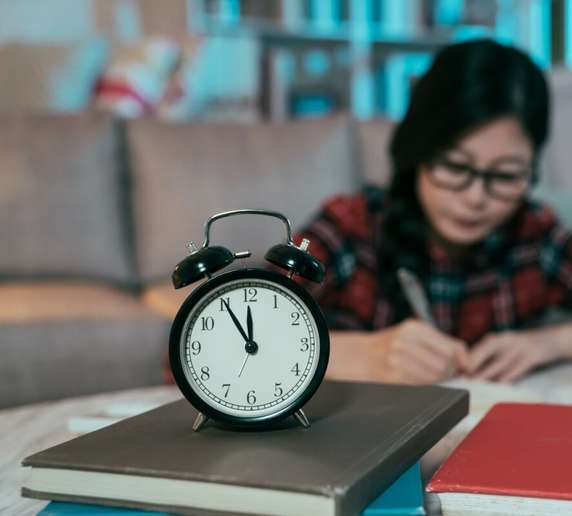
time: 11:54
